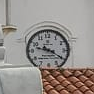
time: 9:20
